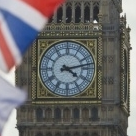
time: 4:12
